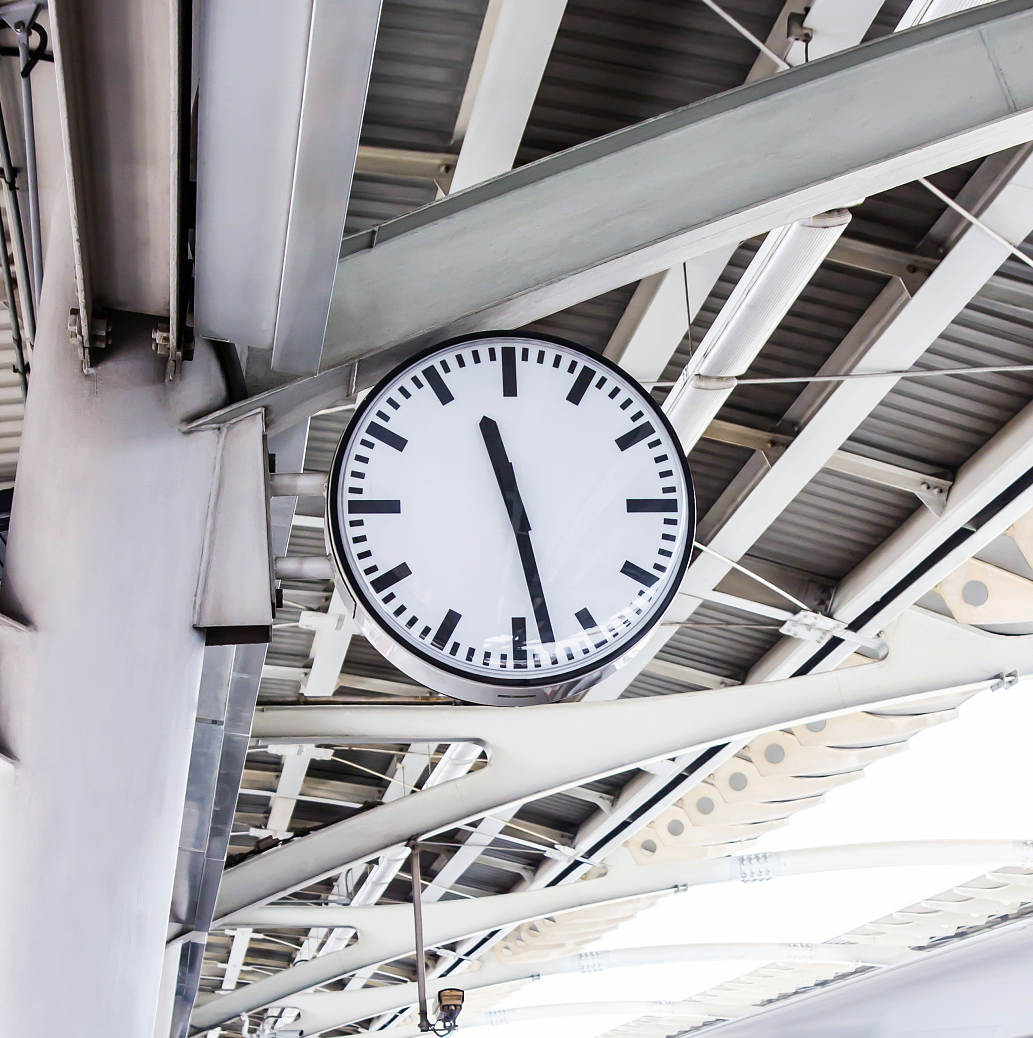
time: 11:28
